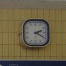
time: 2:19
